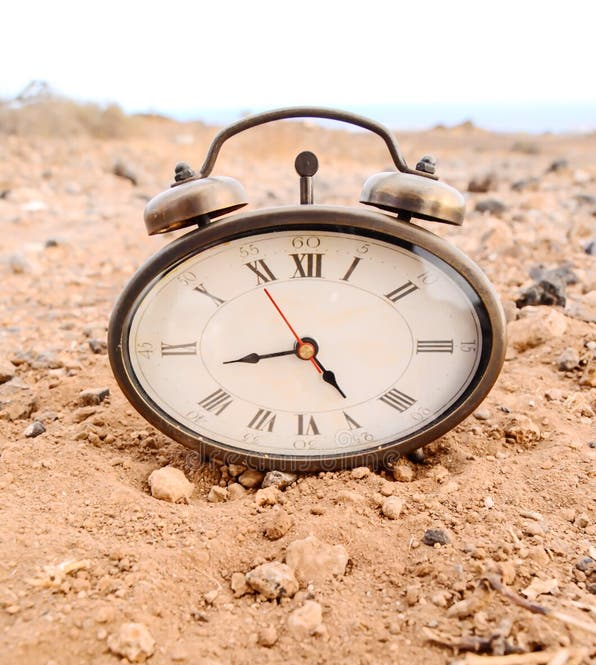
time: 8:24
